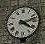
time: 4:12
